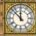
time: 11:52
